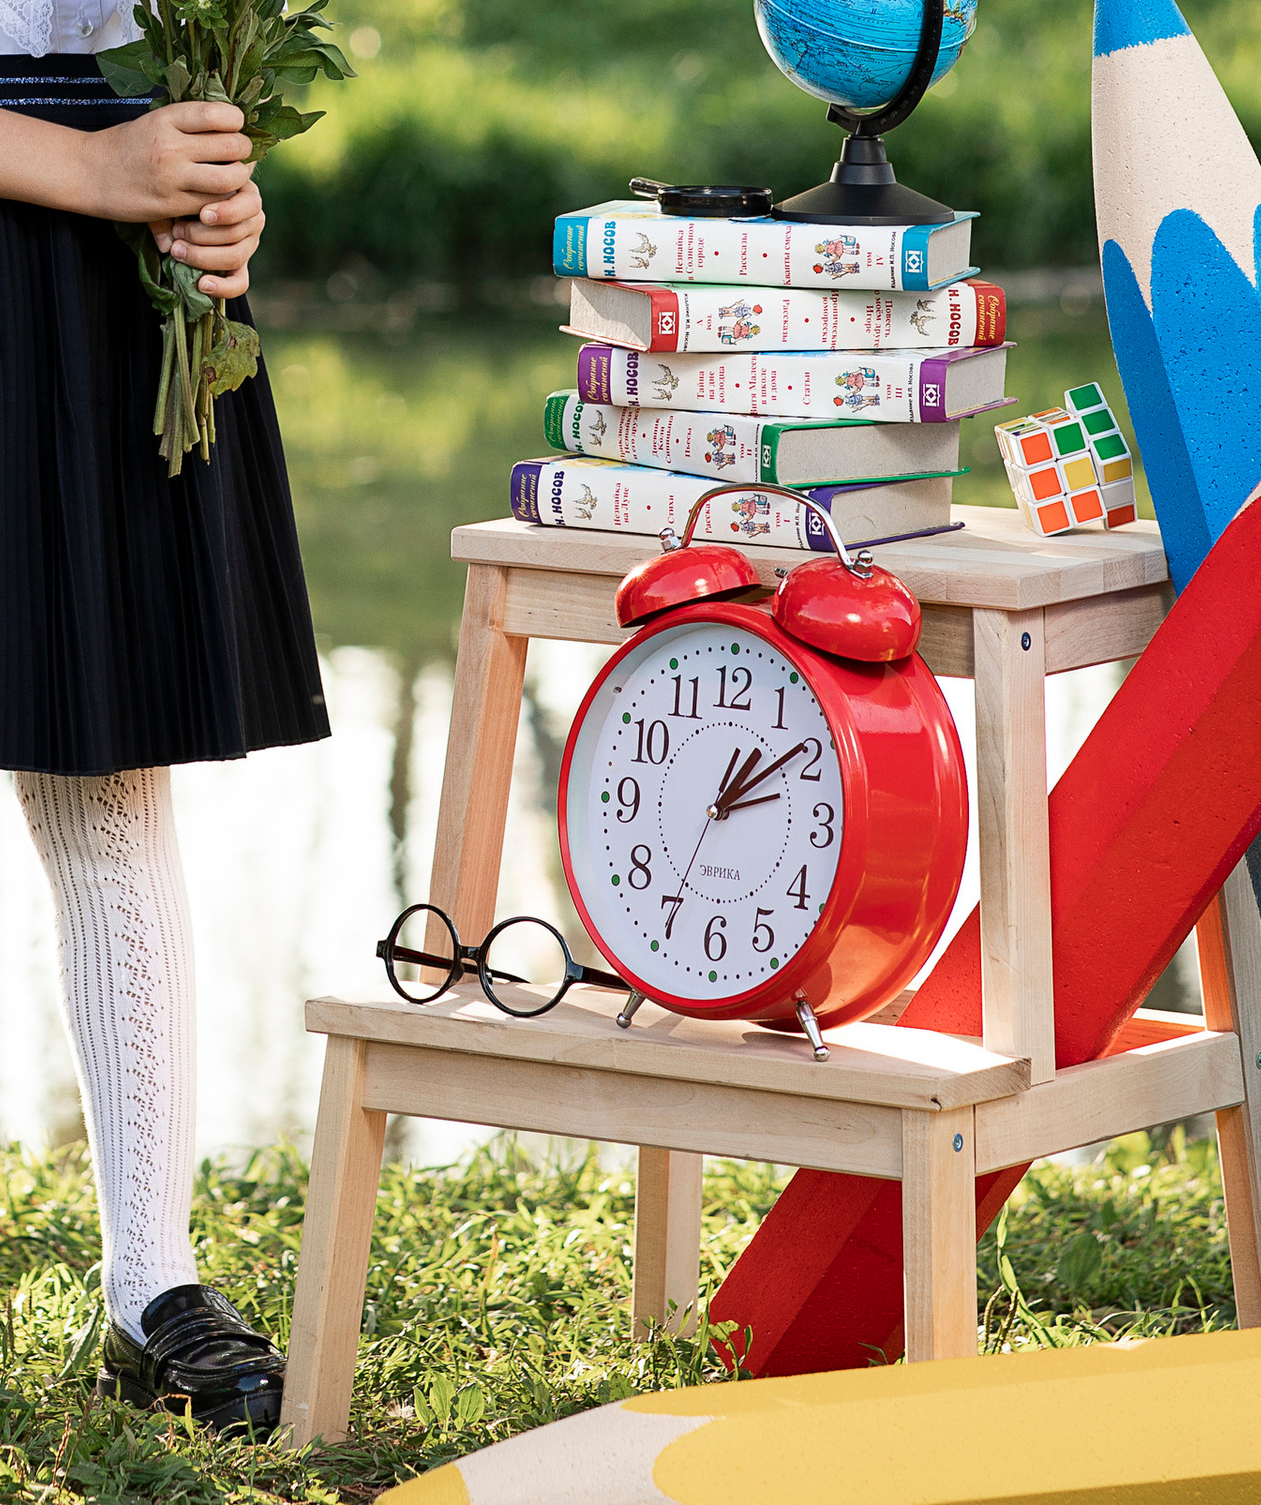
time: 1:08
